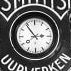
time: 2:54
